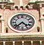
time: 4:37
